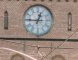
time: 12:45
